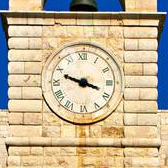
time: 3:48
